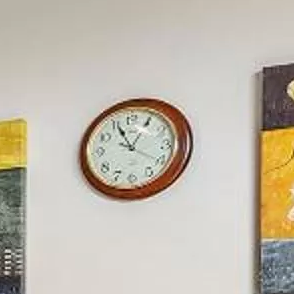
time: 11:05
